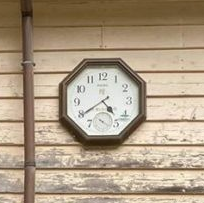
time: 4:39
